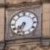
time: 7:33
